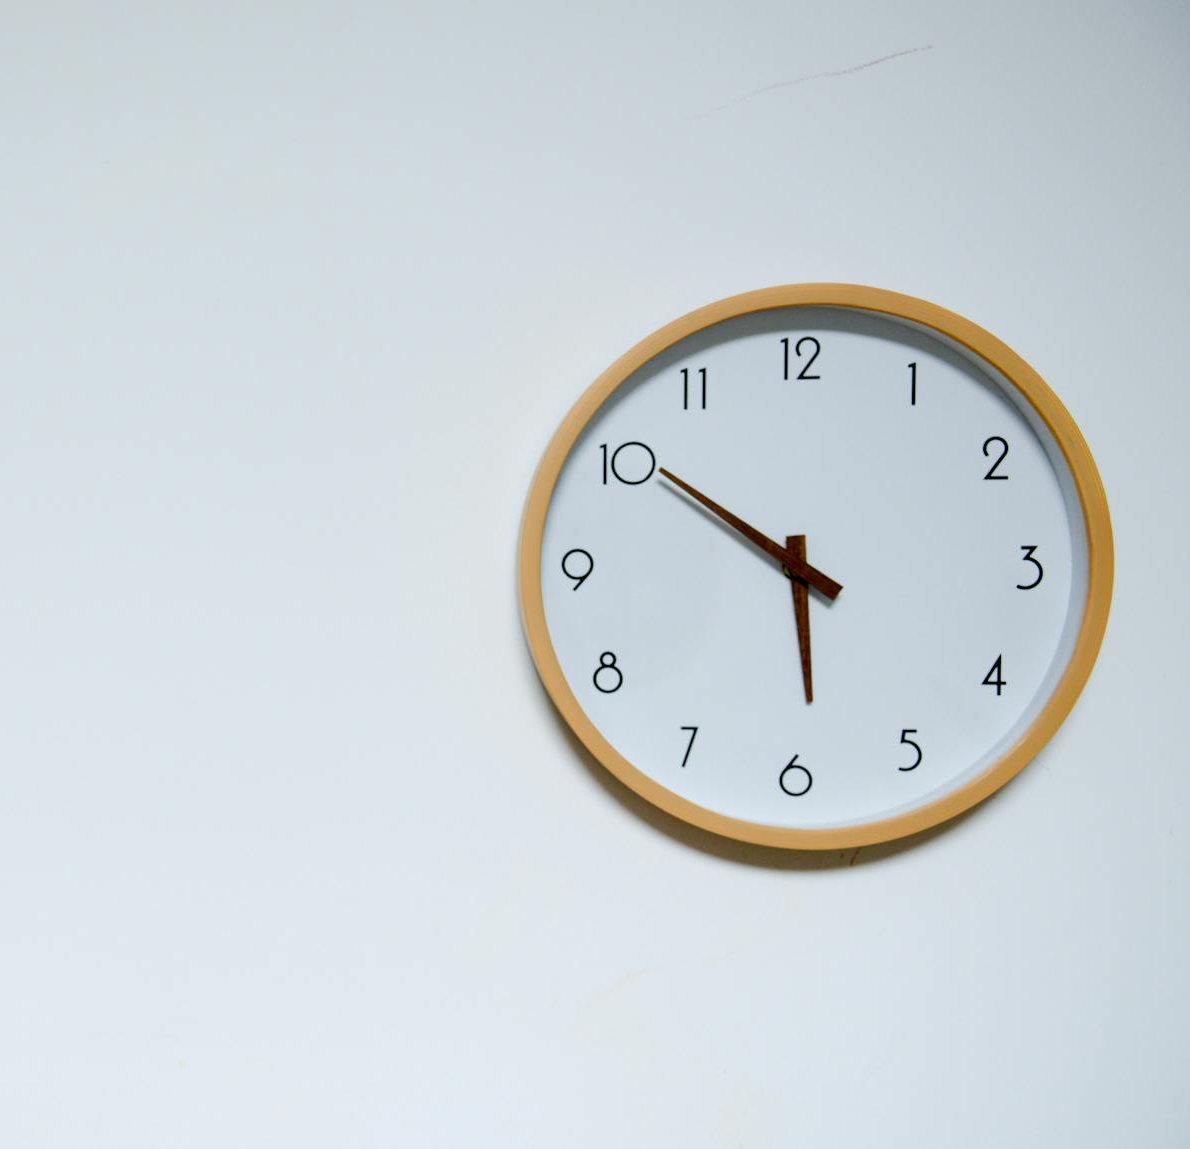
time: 5:50
